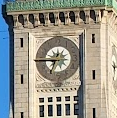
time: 6:44
